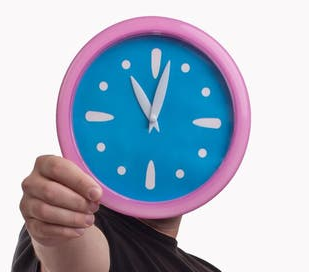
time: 11:02
